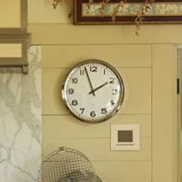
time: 1:56
